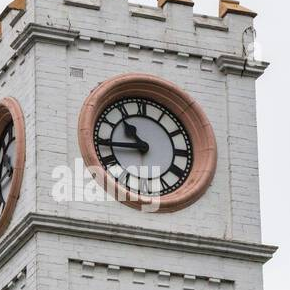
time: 10:43
